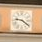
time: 9:21
